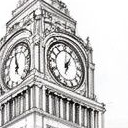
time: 1:01
